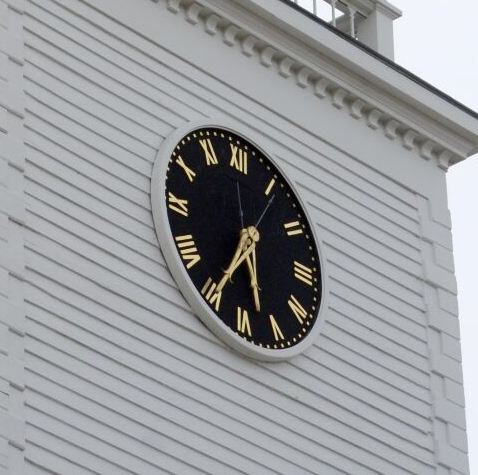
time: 5:35
